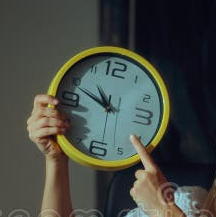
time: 10:48
